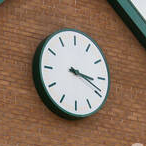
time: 3:18
